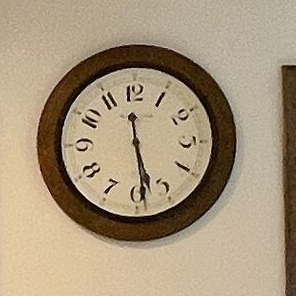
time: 5:28
